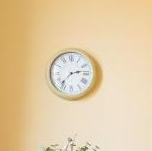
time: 2:37
